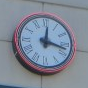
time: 12:17
